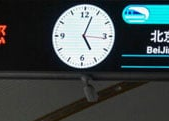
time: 5:03
